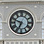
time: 6:48
